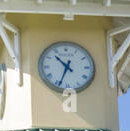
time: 10:34
